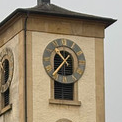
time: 10:36
